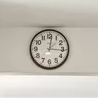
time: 12:15
